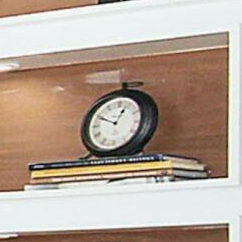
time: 12:49
